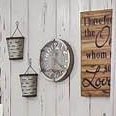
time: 6:21
